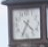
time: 4:34
